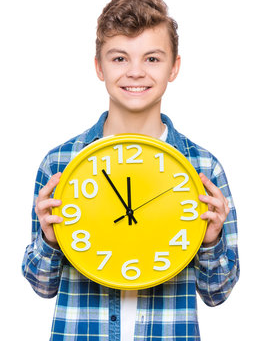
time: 11:55
